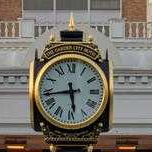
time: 5:43
